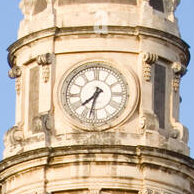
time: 7:32
